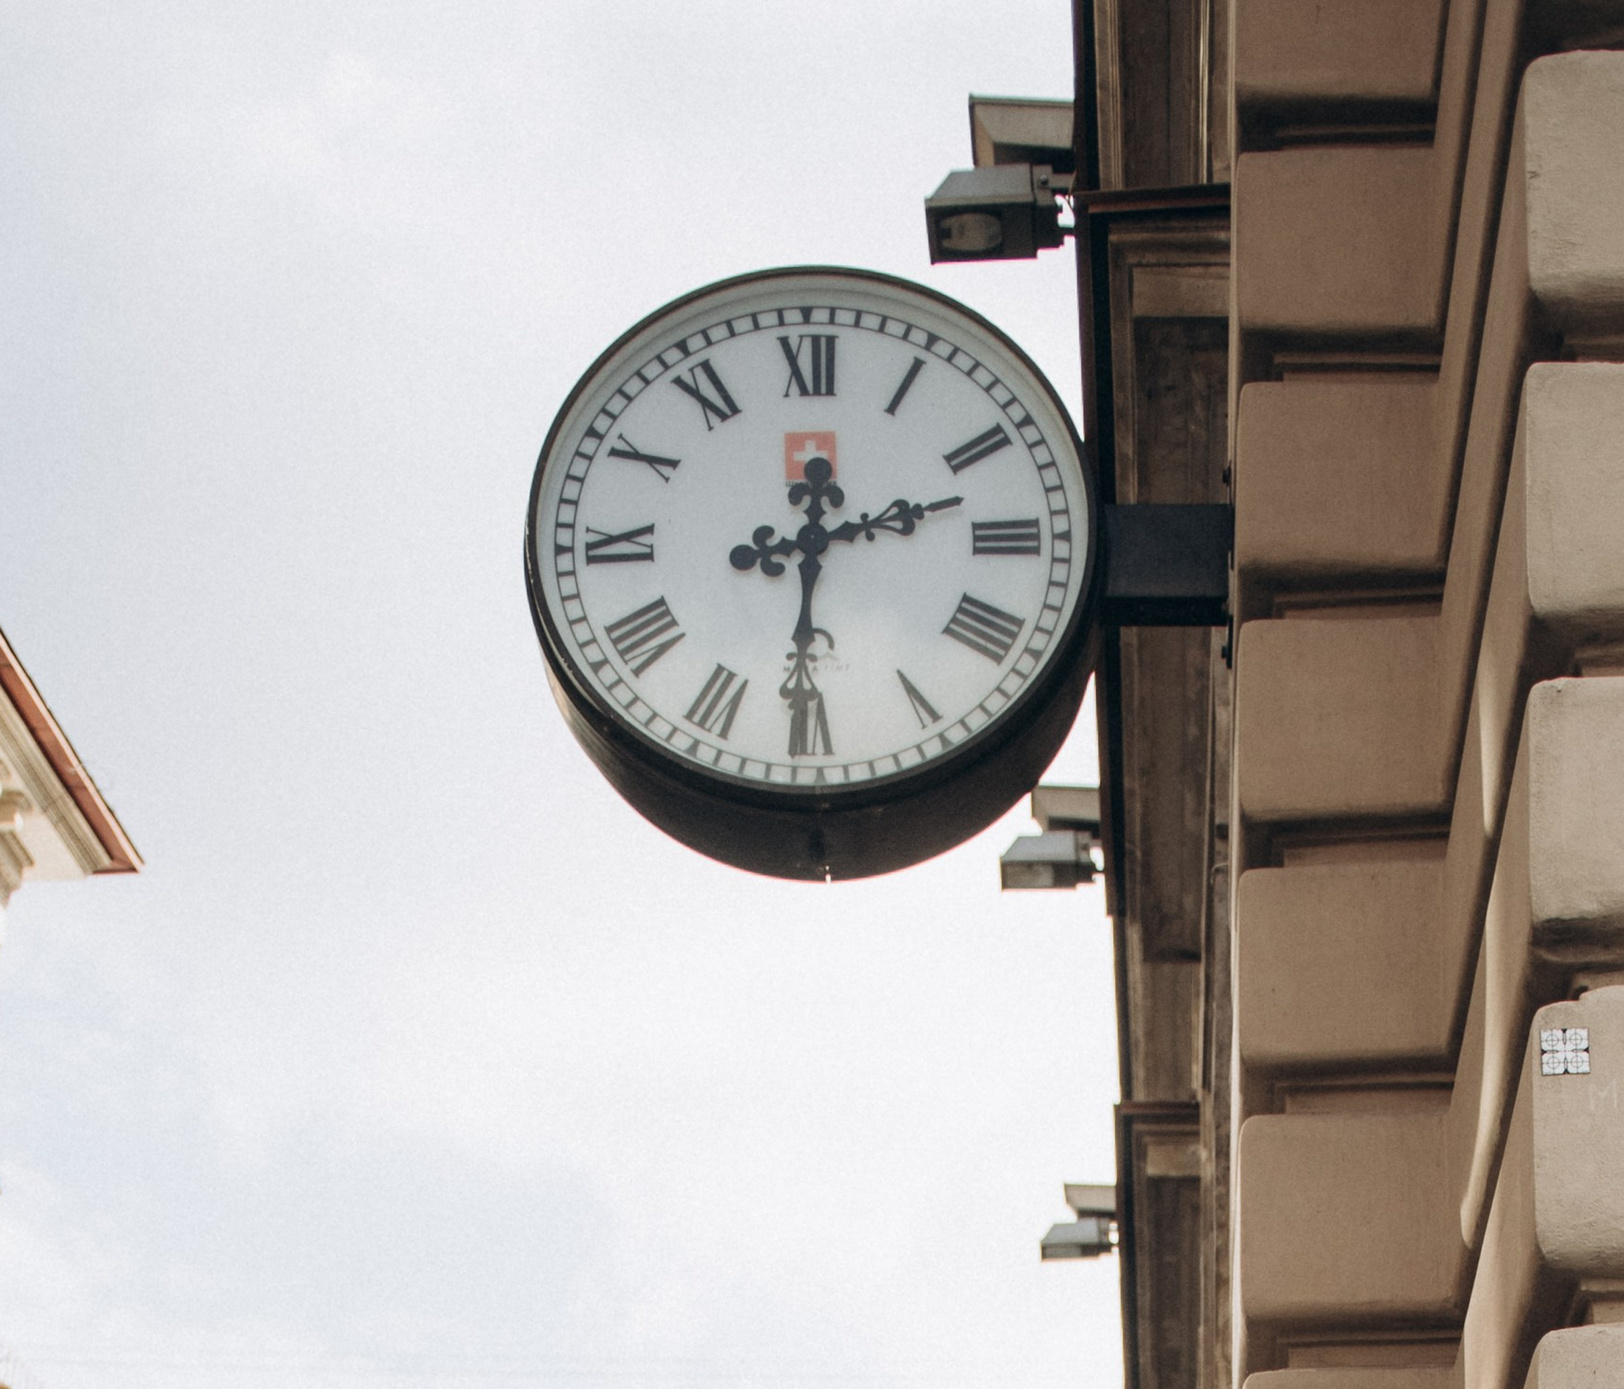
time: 2:30
